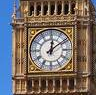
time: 12:09
